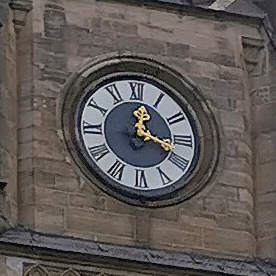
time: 12:18
